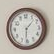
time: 1:31
